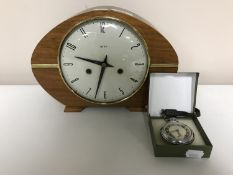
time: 9:32
